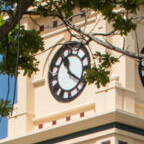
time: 11:20
